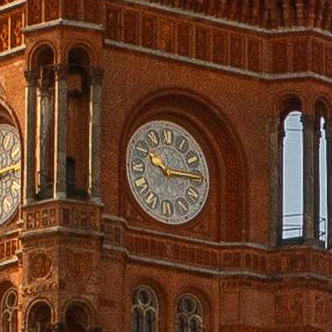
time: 10:14
